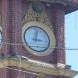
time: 3:02
